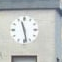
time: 11:28
